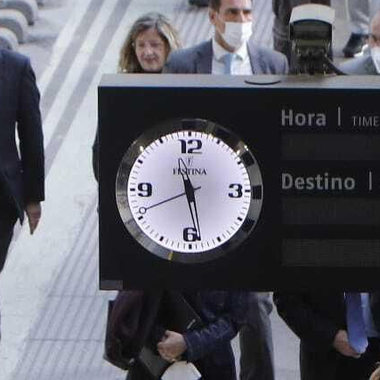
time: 11:28
